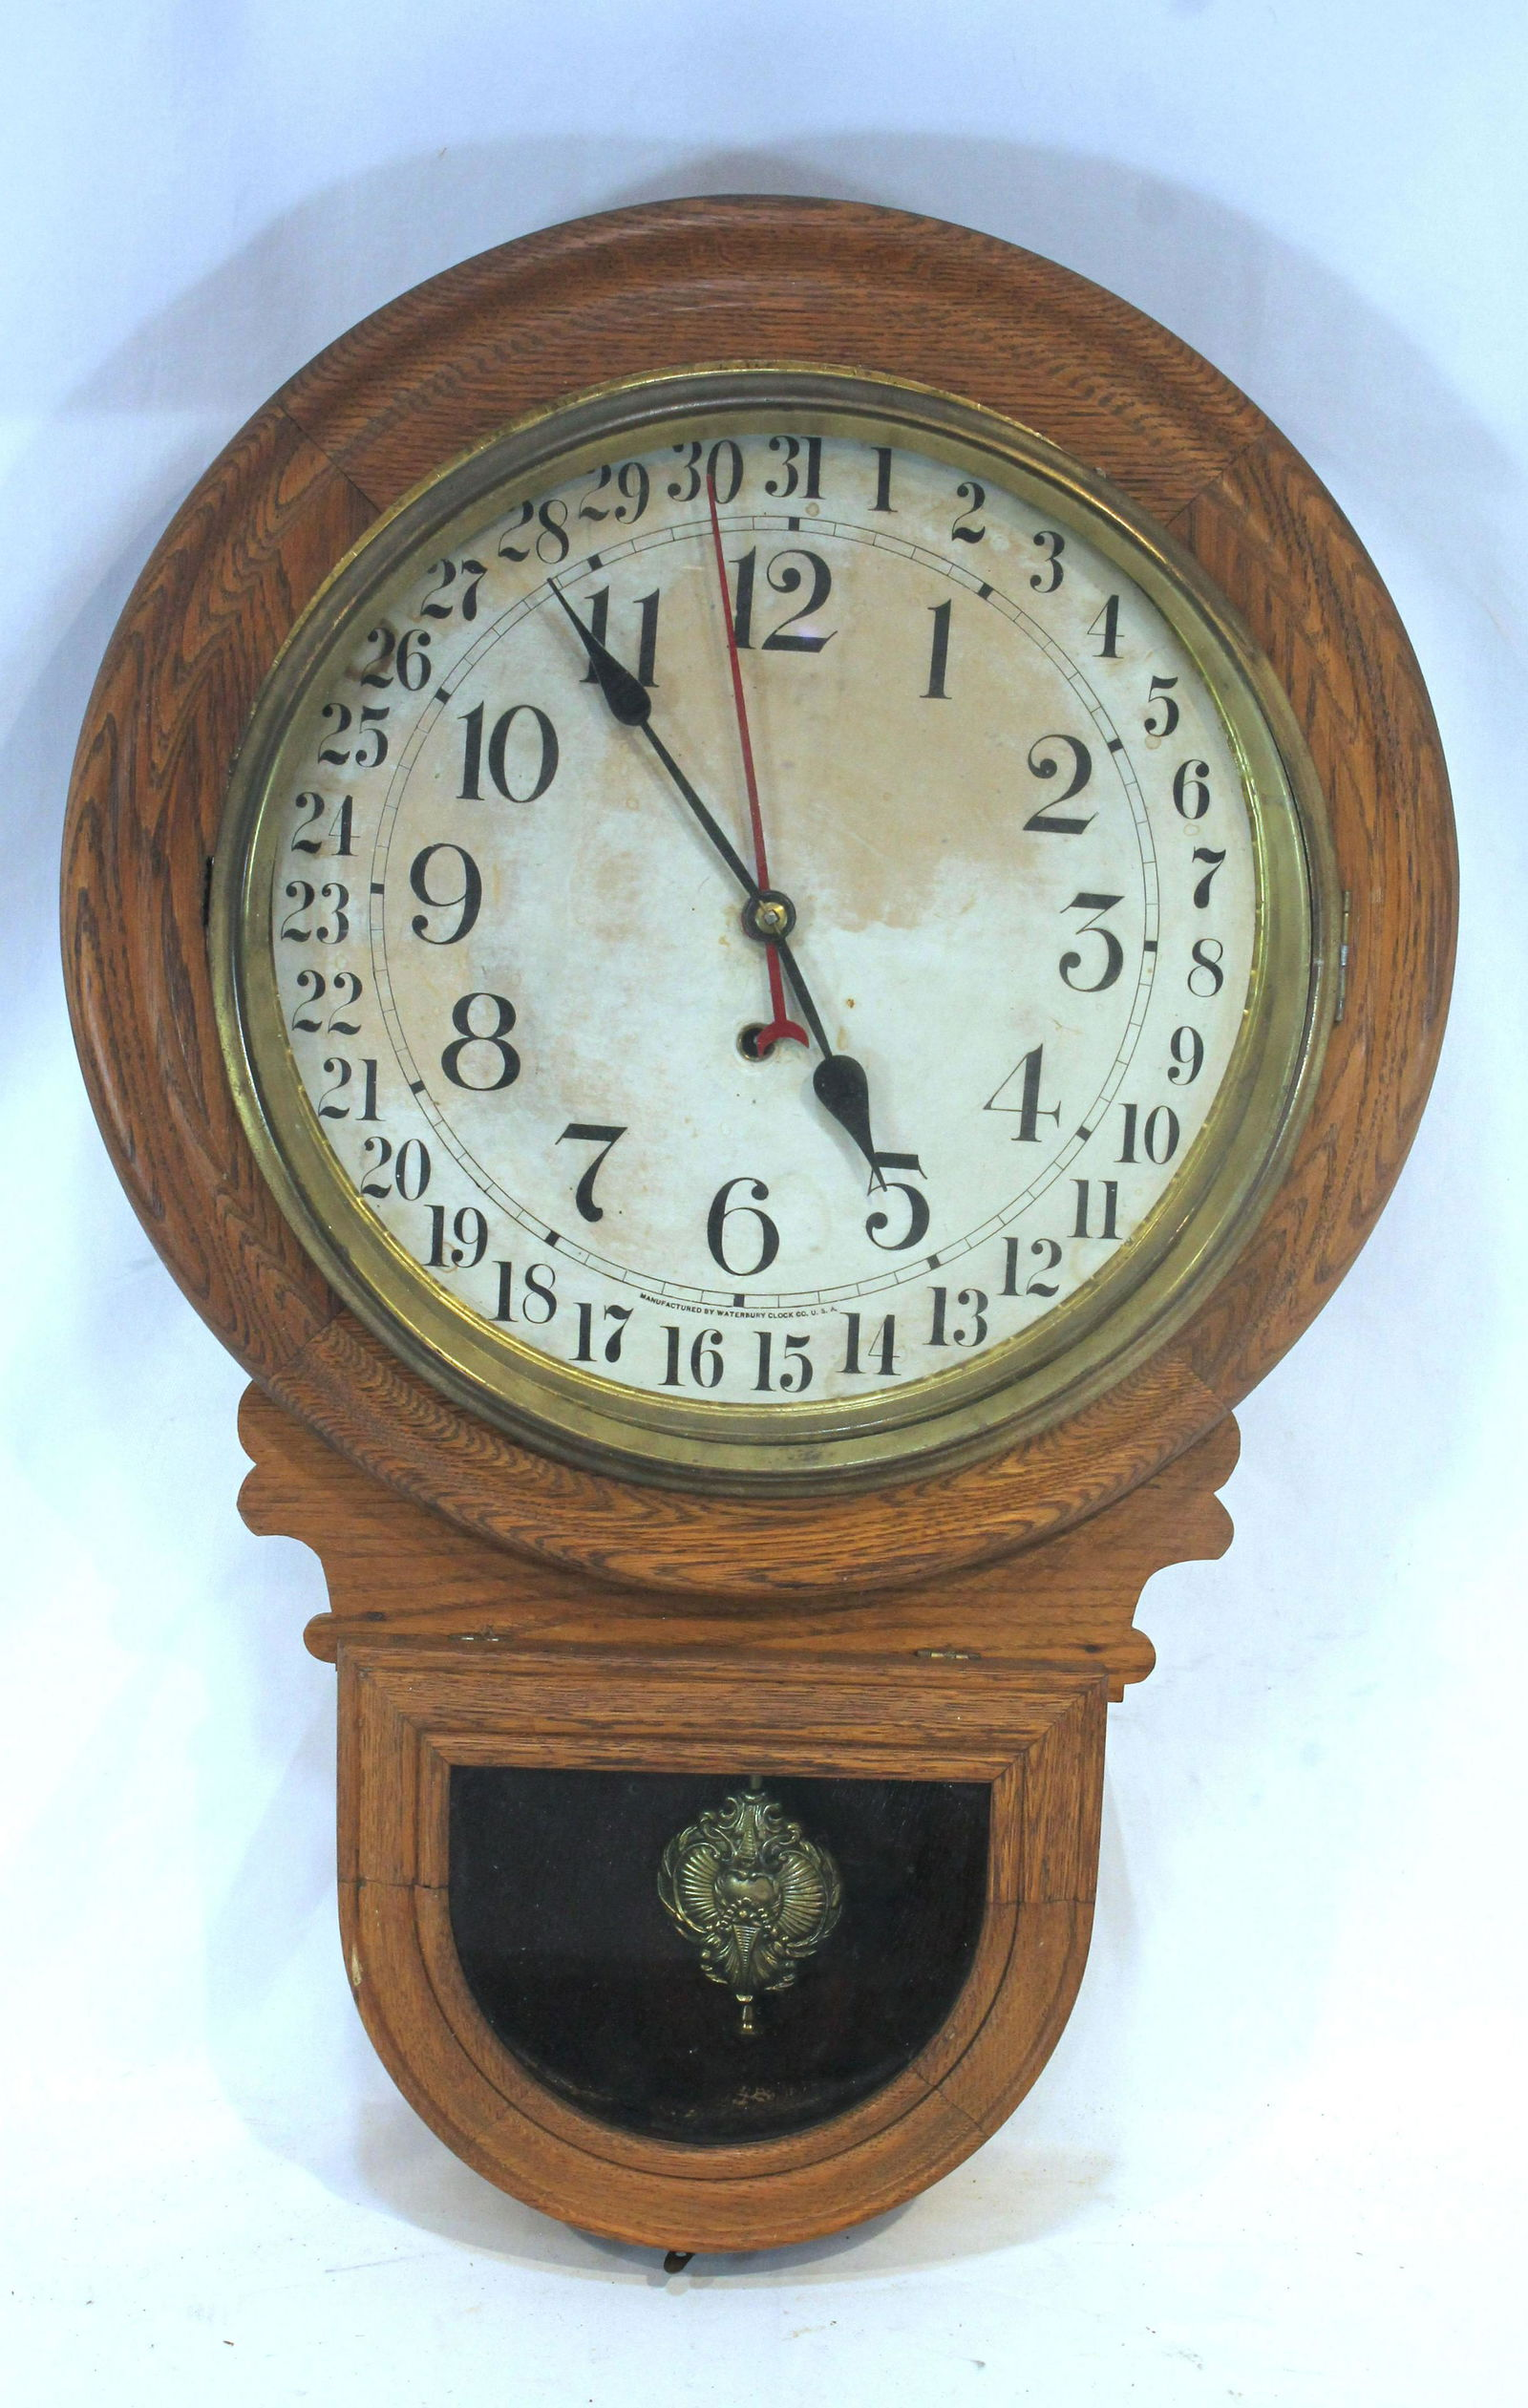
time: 4:54
